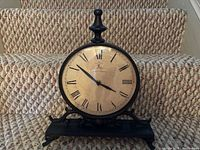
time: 3:51
